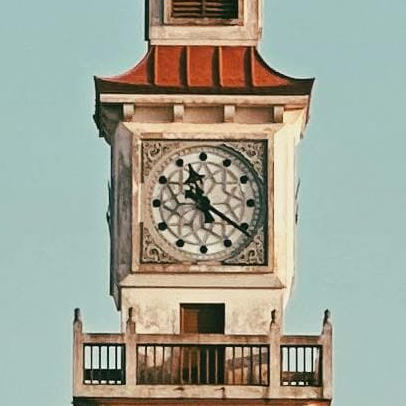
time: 11:20
